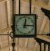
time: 12:14
